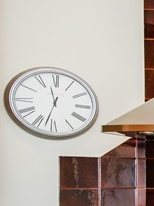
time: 11:32
